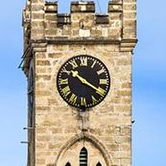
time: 10:20
